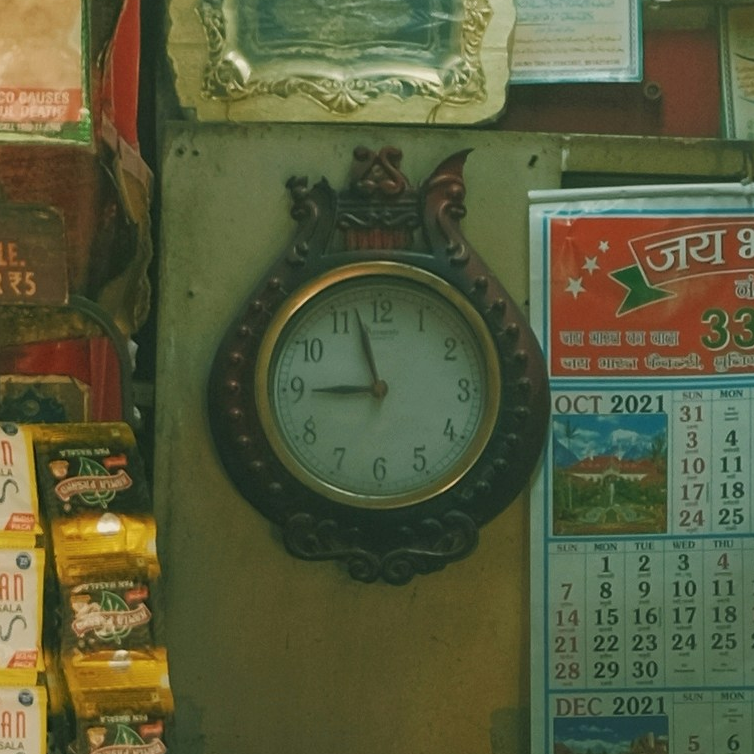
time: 8:57
